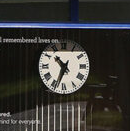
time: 10:34
